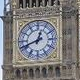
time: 12:41
